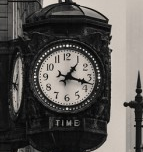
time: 1:17
